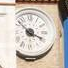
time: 3:52
